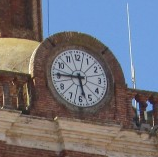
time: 5:45
